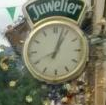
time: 1:03
